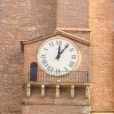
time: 12:06
